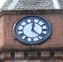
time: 12:22
